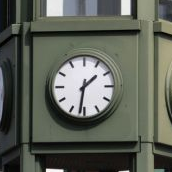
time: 1:31
